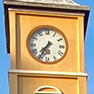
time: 7:35
